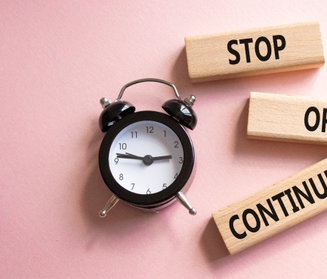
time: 2:46
